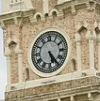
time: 5:24
